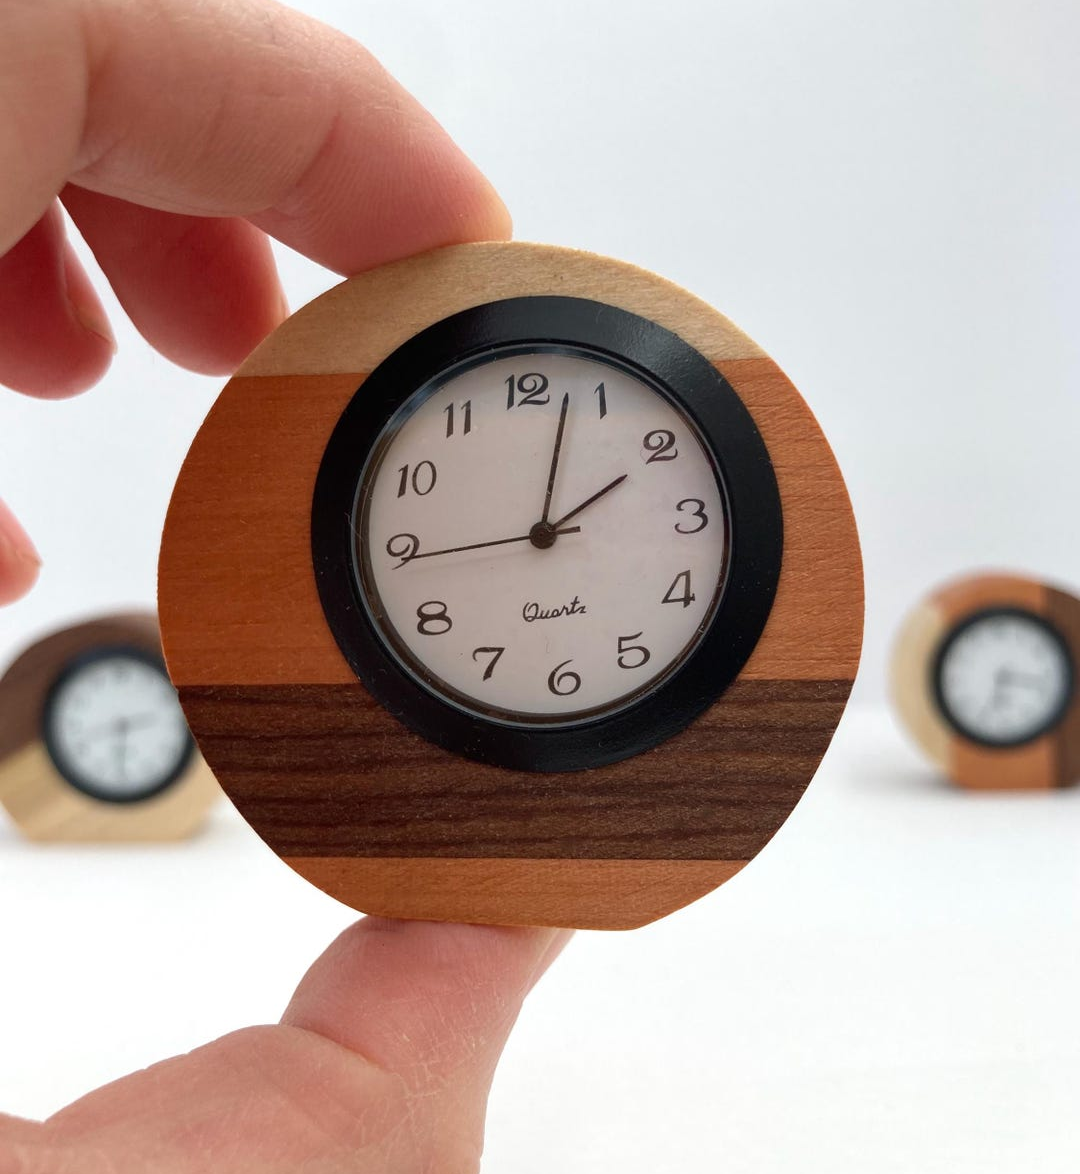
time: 2:02
